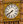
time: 7:39
